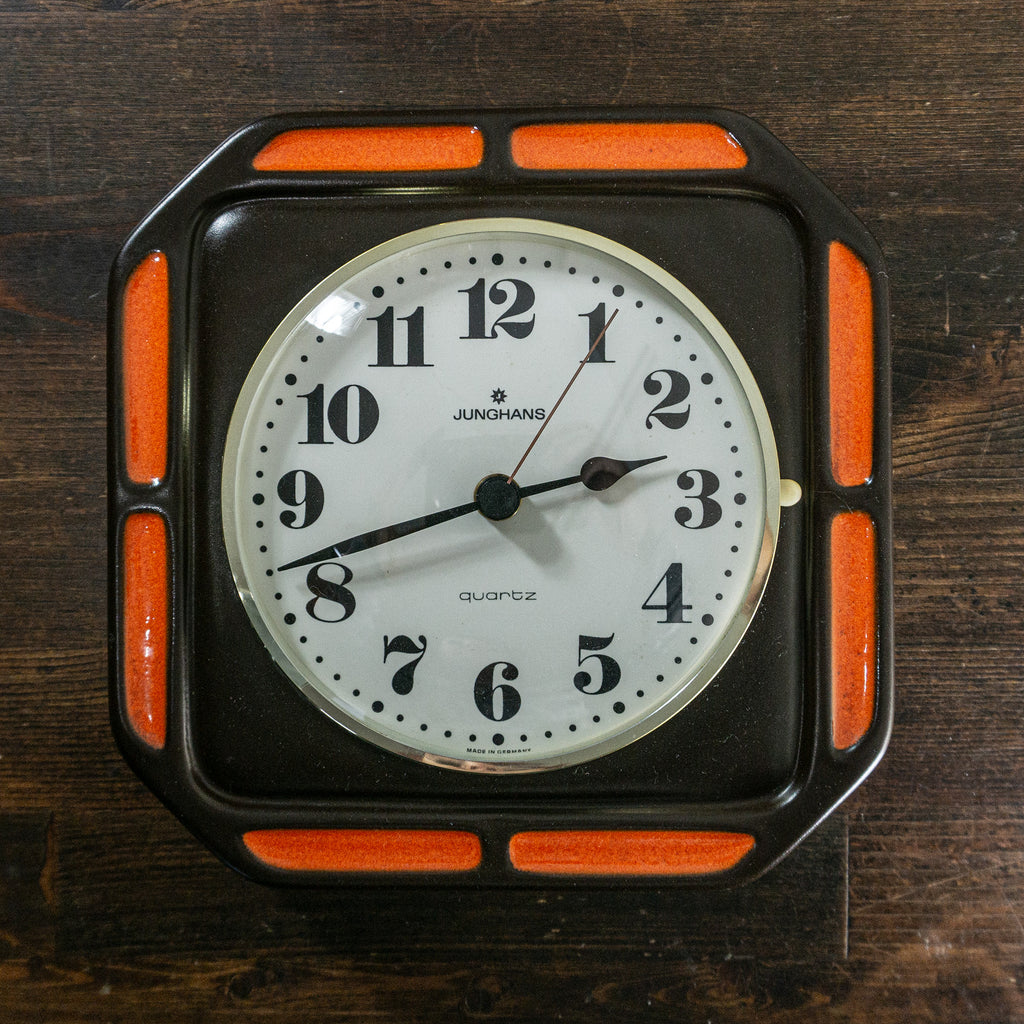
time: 2:42
